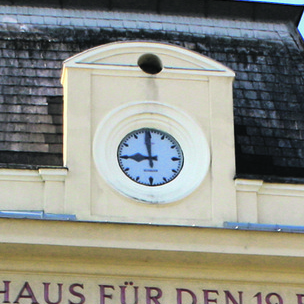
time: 8:59
